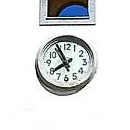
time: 7:55
